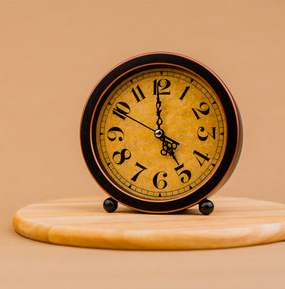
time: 4:59
